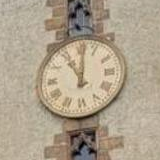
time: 11:00
